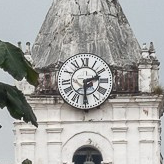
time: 2:29
